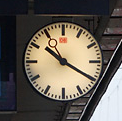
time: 10:20
